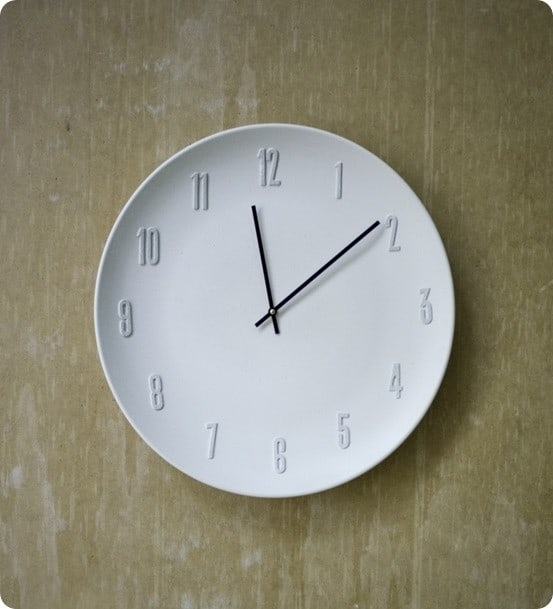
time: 12:09
